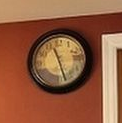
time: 11:27
